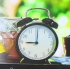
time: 9:00
